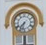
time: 7:32
